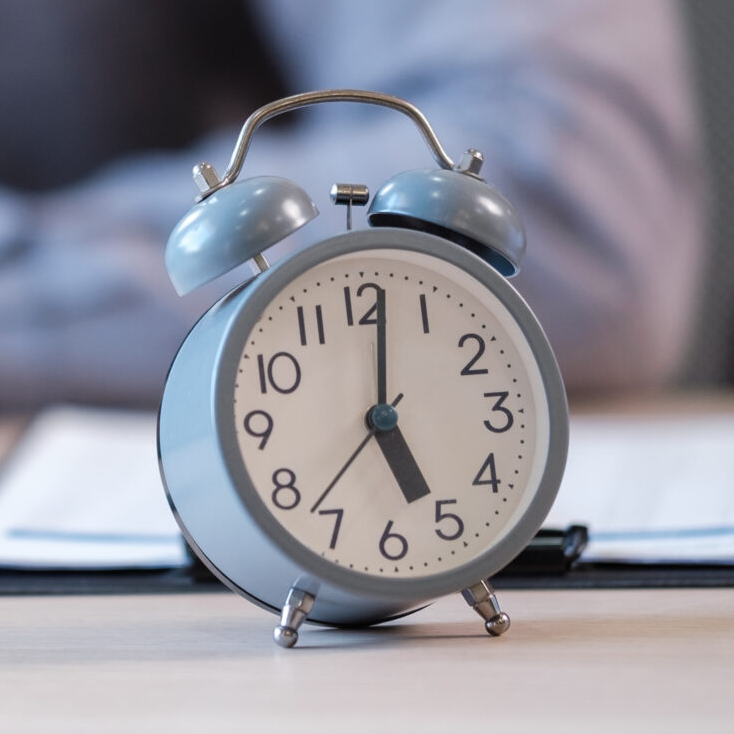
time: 5:01
